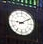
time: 9:09
